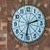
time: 2:32
